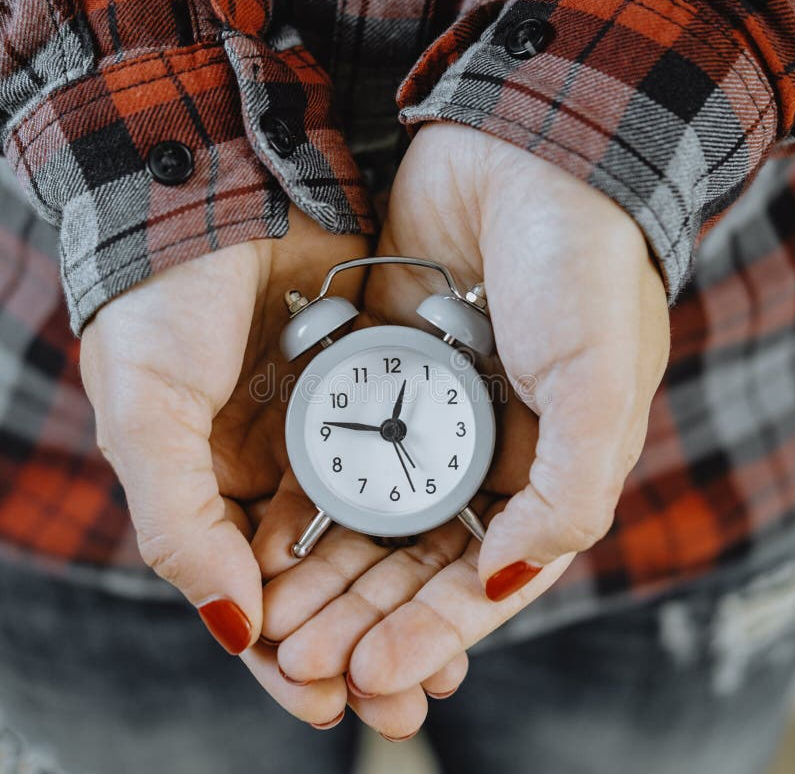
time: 12:46
